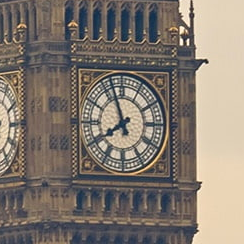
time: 7:56
